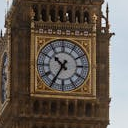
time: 10:35
